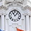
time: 11:07
